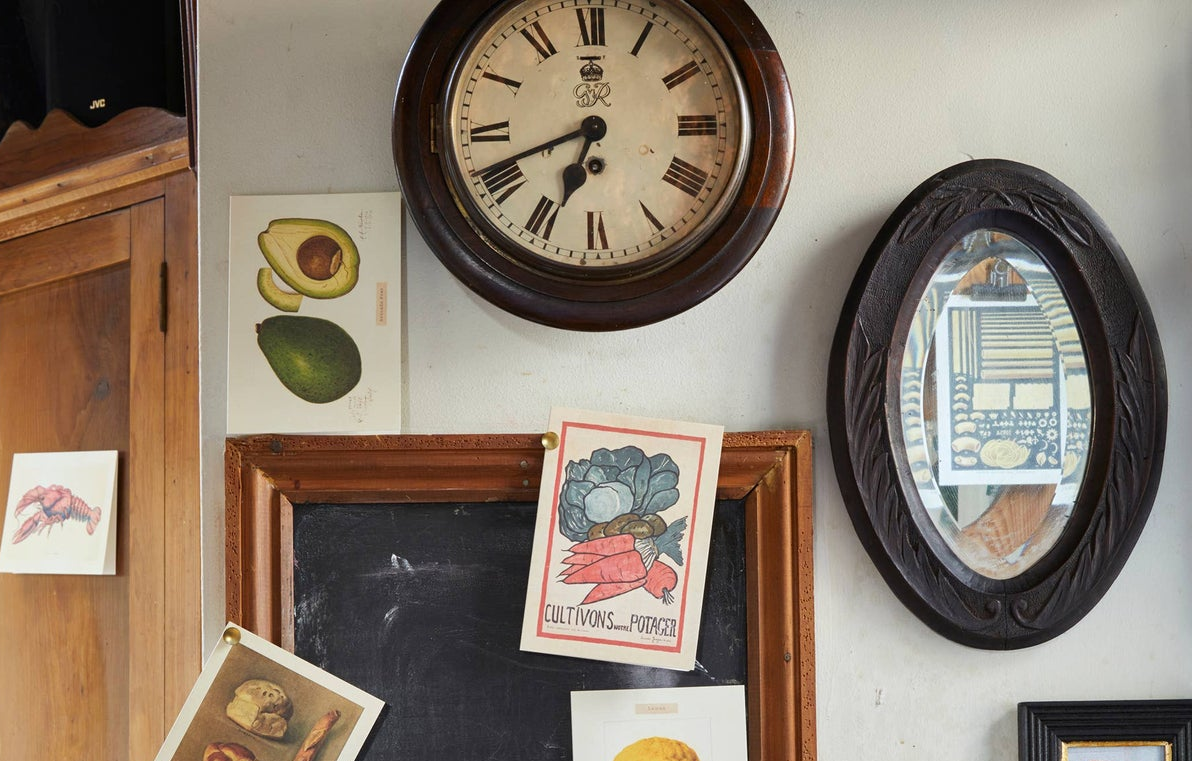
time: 6:41
